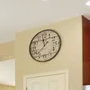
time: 11:37
